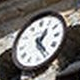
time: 1:24
